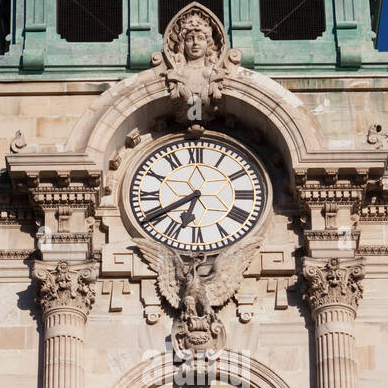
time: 6:39
